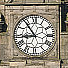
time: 8:53
